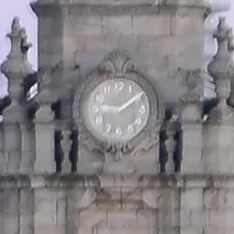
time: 9:09
